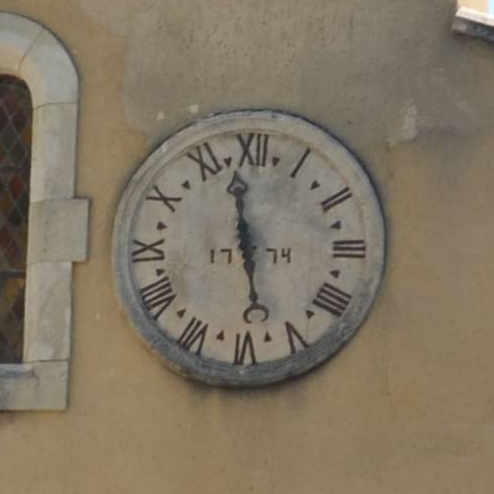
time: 11:28
